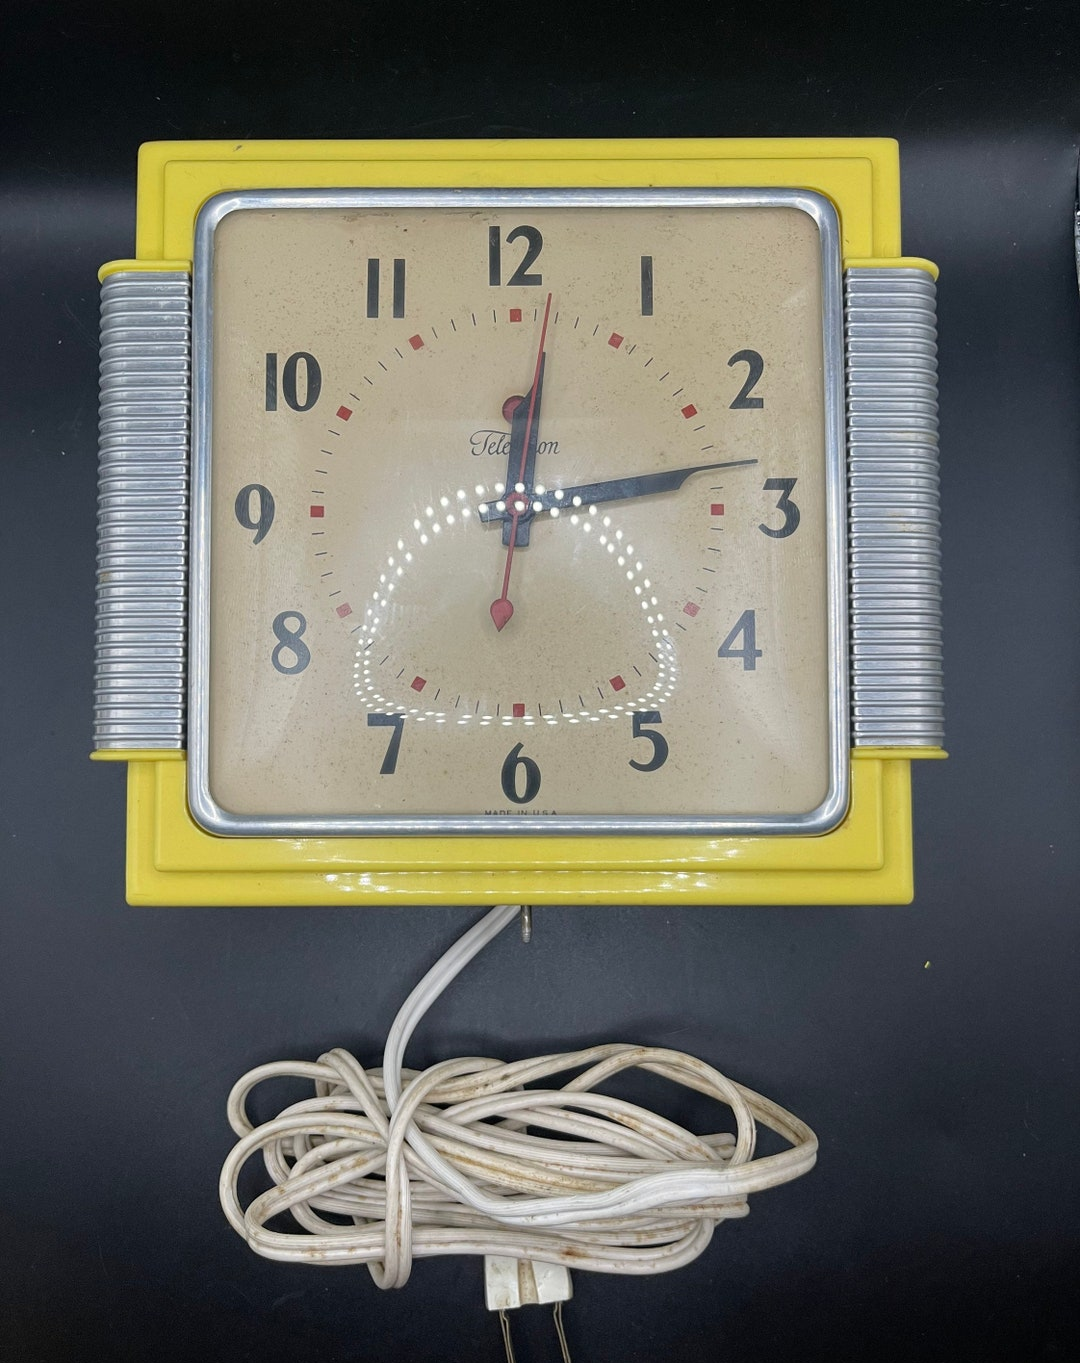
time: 12:13
